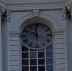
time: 11:48
